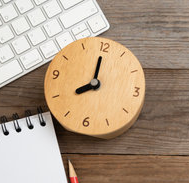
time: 8:00
